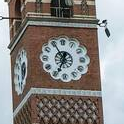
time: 6:55
